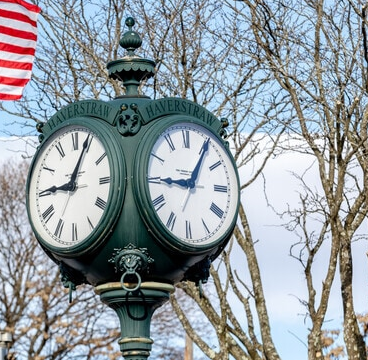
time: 9:05
